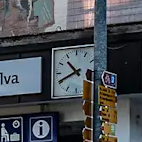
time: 10:41
